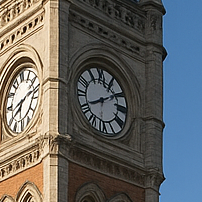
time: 8:09
